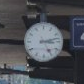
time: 3:12
